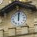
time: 12:01
